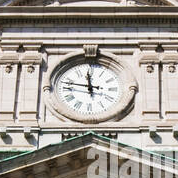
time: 11:47
